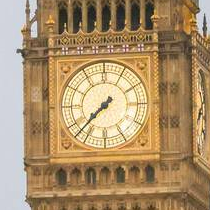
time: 7:37
